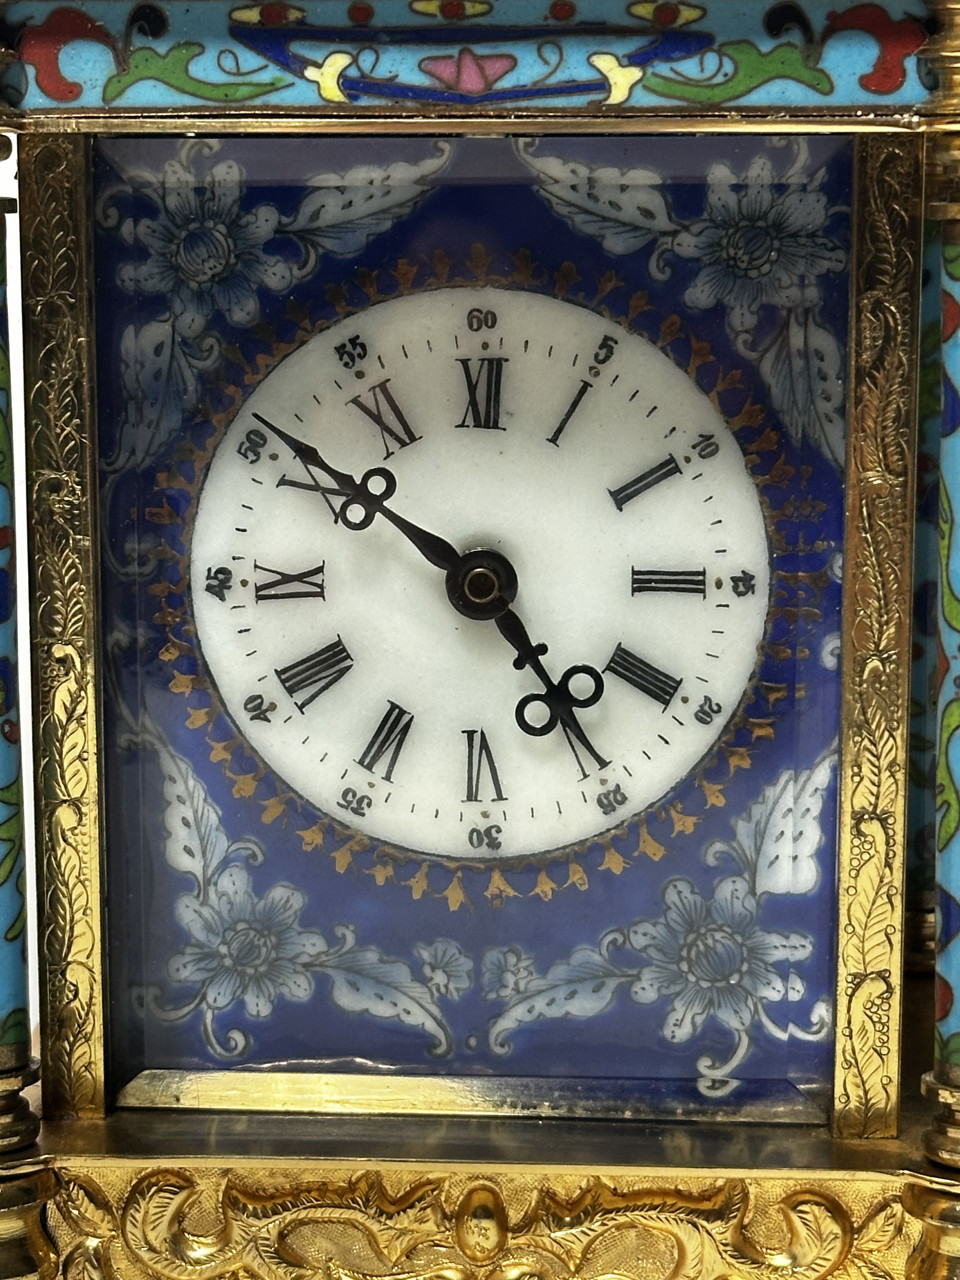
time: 4:50
